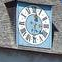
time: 12:30
